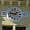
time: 1:46
